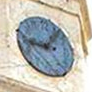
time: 9:07
